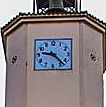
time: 9:22
